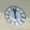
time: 11:57
